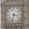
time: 3:32
